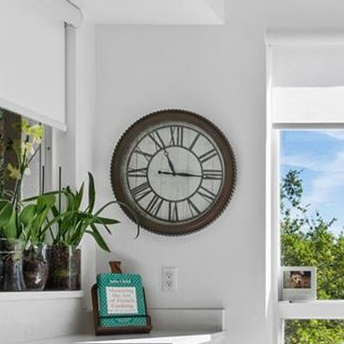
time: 11:15
